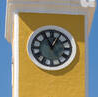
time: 12:55
